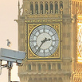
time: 2:36
